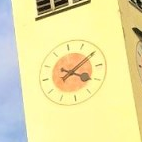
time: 4:09
